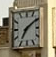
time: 7:09
